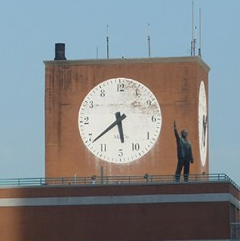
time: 5:38
